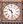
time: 10:28
